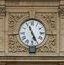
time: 11:25
